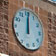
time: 12:00
